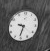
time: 9:31
